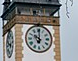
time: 10:00
